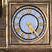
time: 5:24
